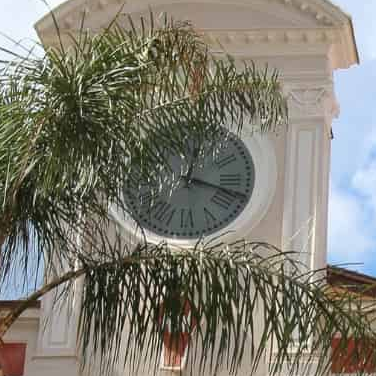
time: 12:17
